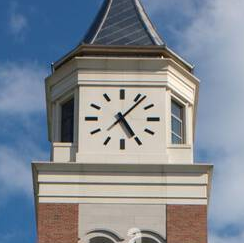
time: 5:06
